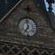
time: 6:58
